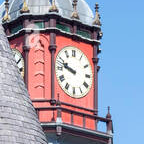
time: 9:47
